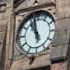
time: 10:58
